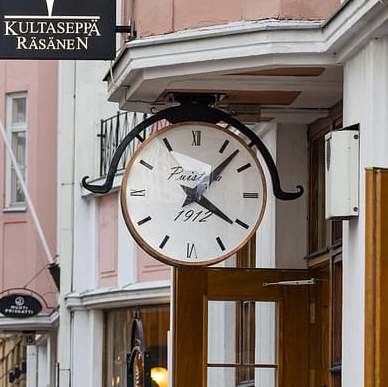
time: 4:07
